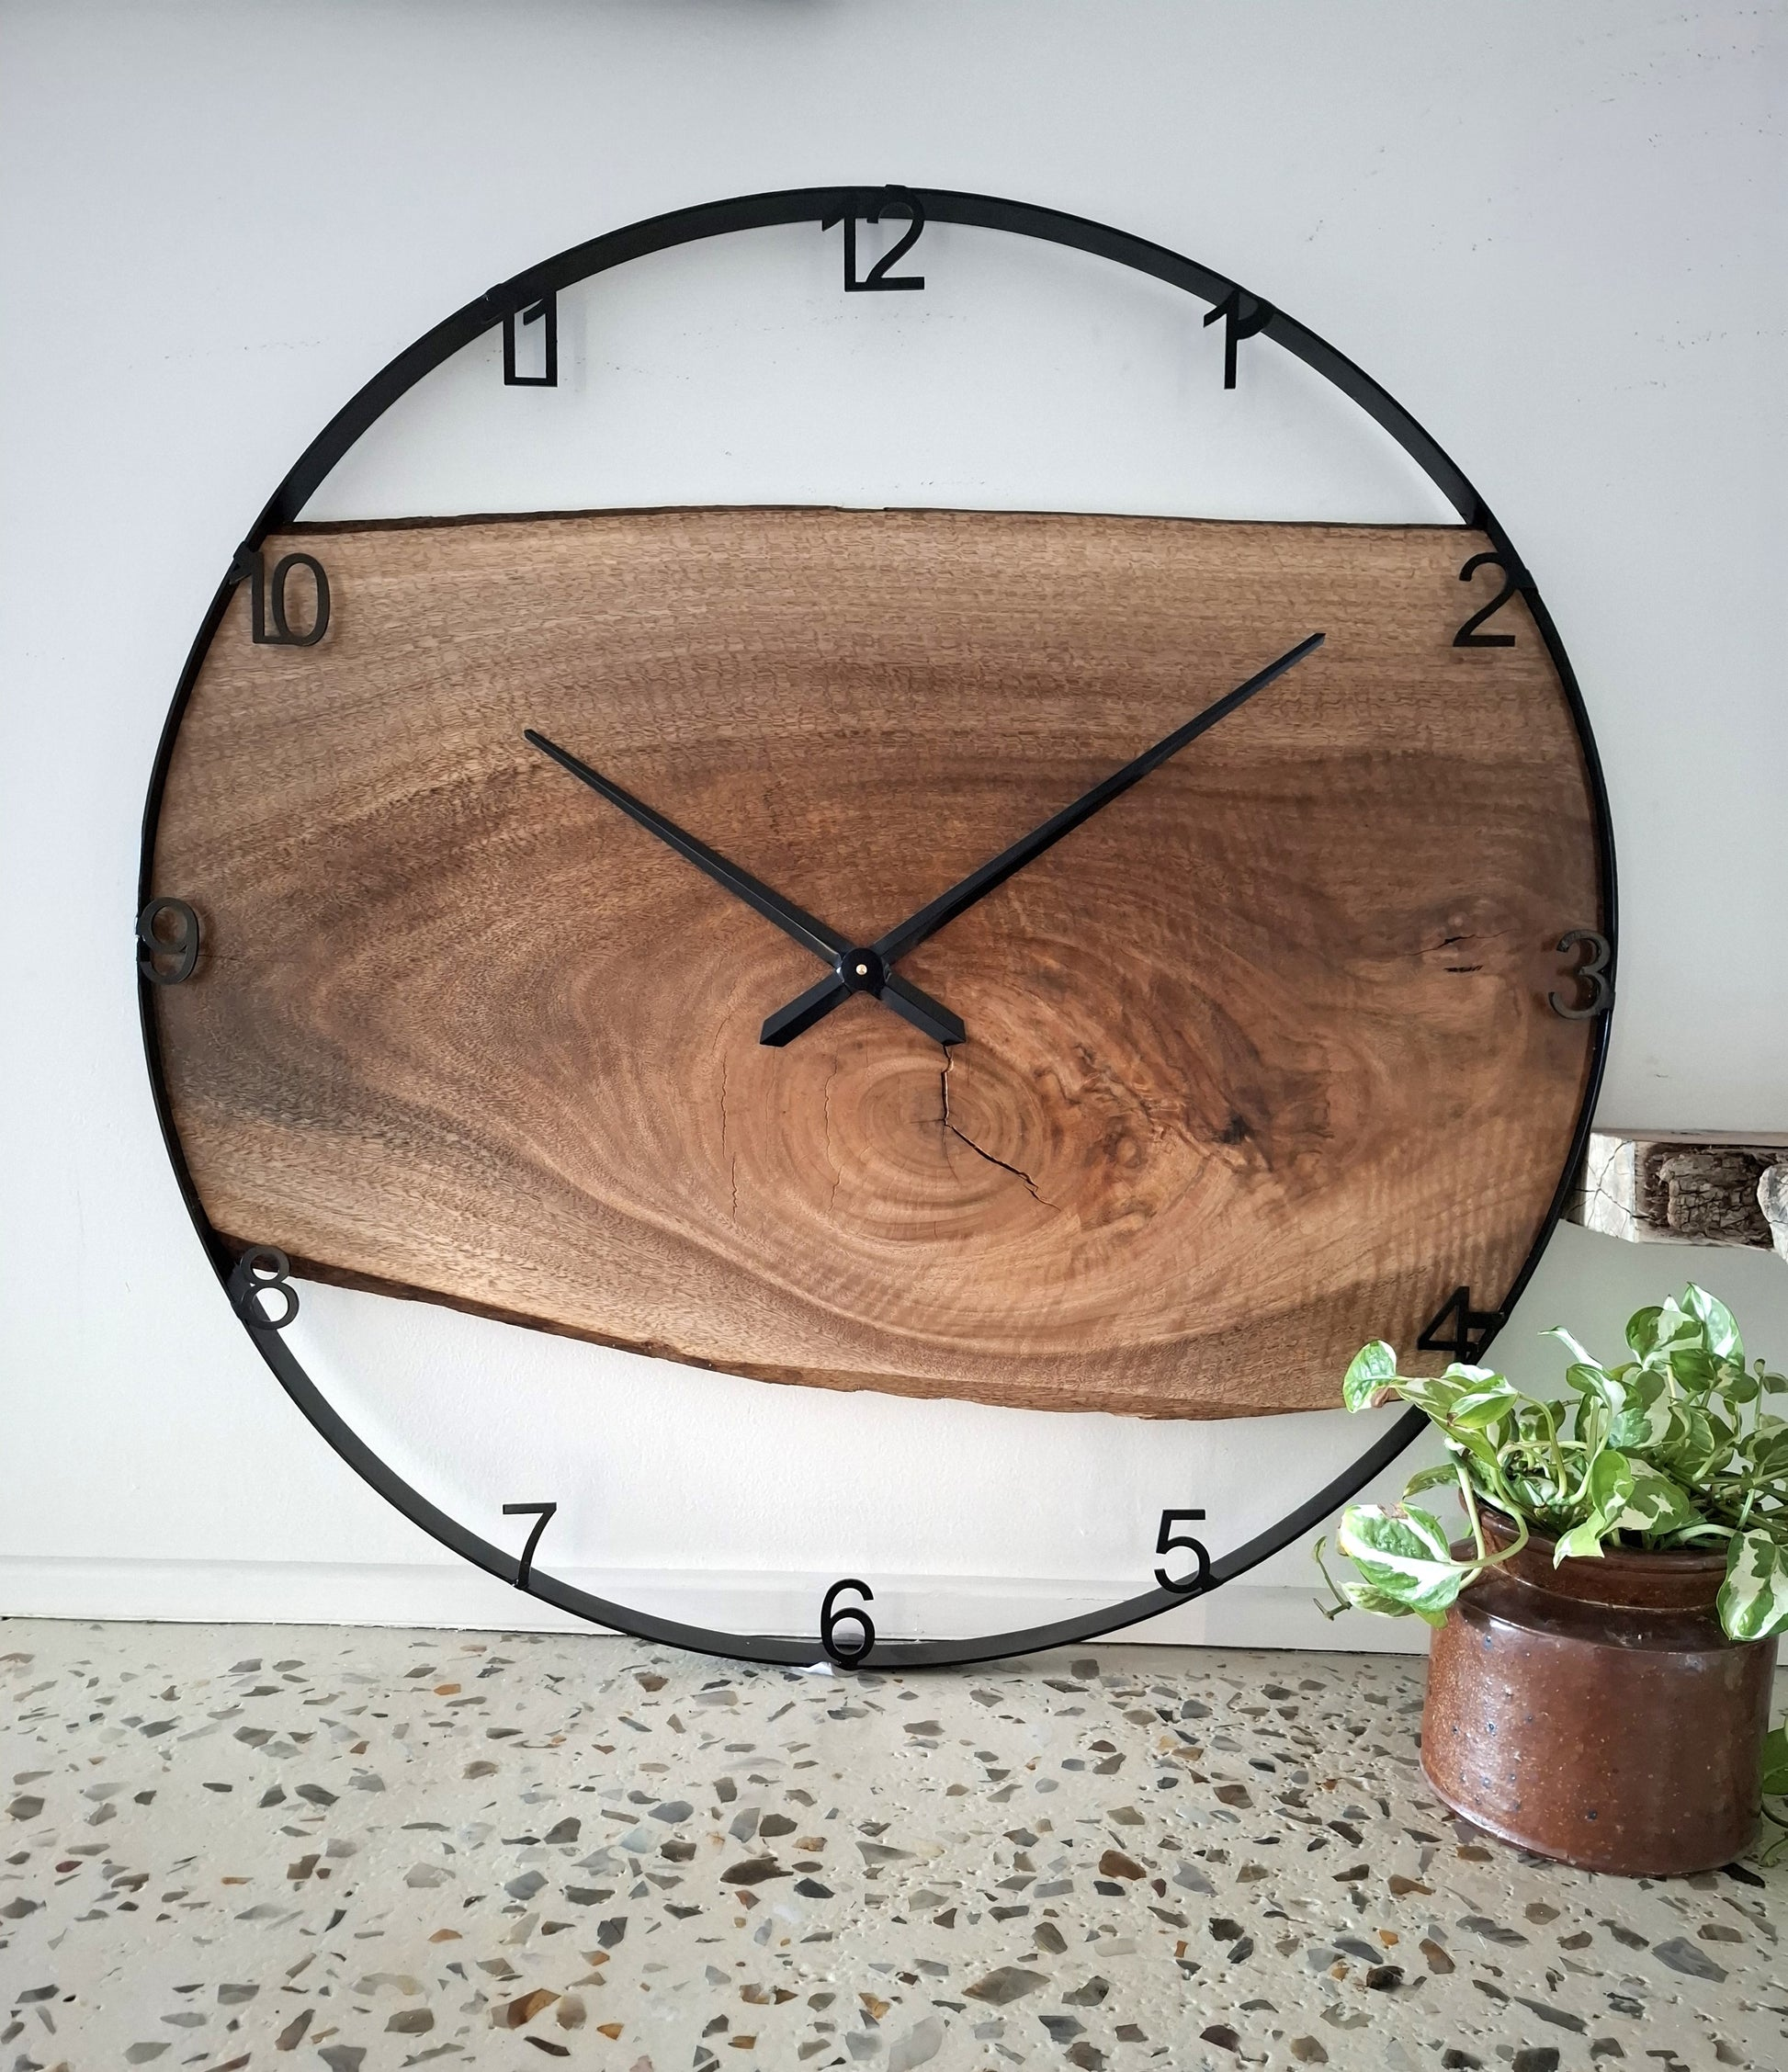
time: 10:08
